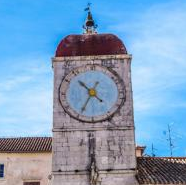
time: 10:34
